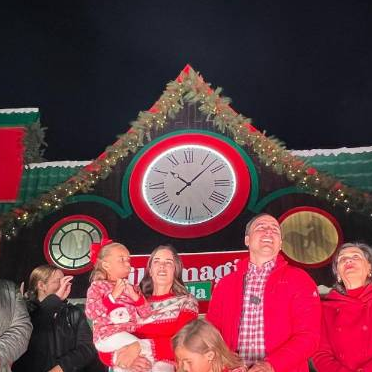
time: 10:07
